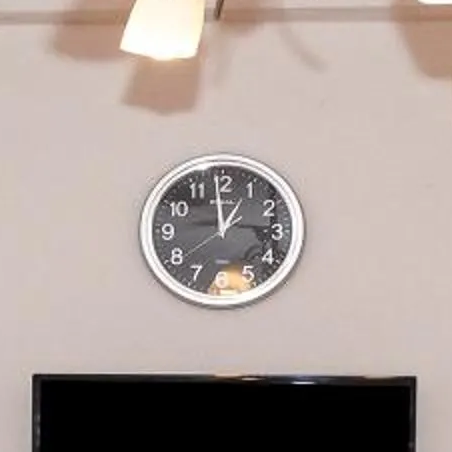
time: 12:58
